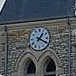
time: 1:18
